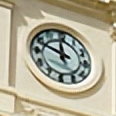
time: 11:48
